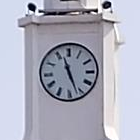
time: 11:26
